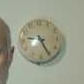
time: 9:25
